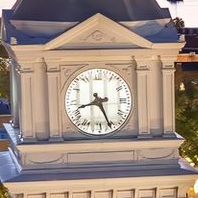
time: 8:26
